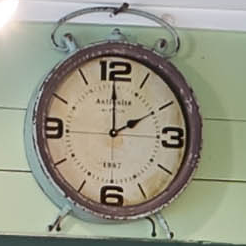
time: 2:00
